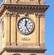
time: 12:24
